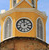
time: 1:59
